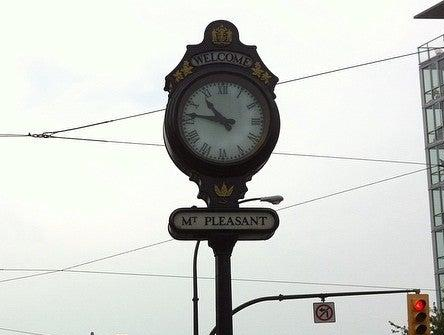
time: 10:46
